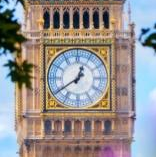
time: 12:39
